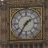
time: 1:35
